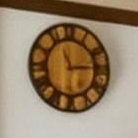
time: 11:14
